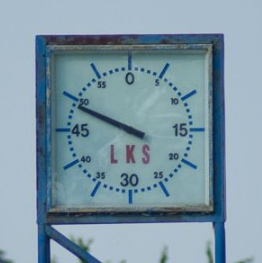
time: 9:49
